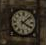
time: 4:07
